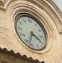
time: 3:33
